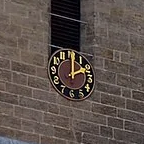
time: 2:00
